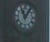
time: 11:05
